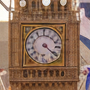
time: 4:21
